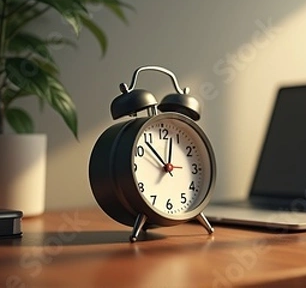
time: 12:53
